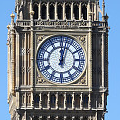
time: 12:02
